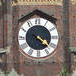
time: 4:21
